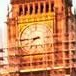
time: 7:44
